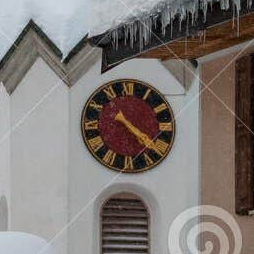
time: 4:21
